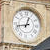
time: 12:42
